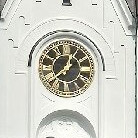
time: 12:38
